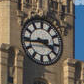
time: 3:43
